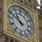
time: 10:49
